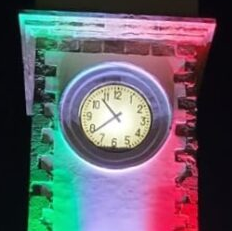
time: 10:38
